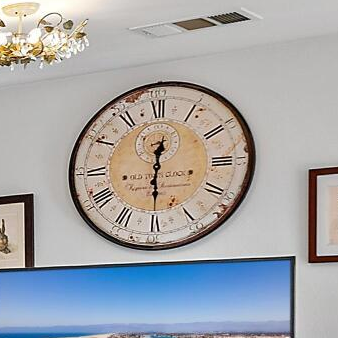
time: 12:29
